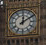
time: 12:09
